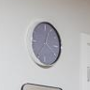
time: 4:02
